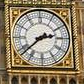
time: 2:38
